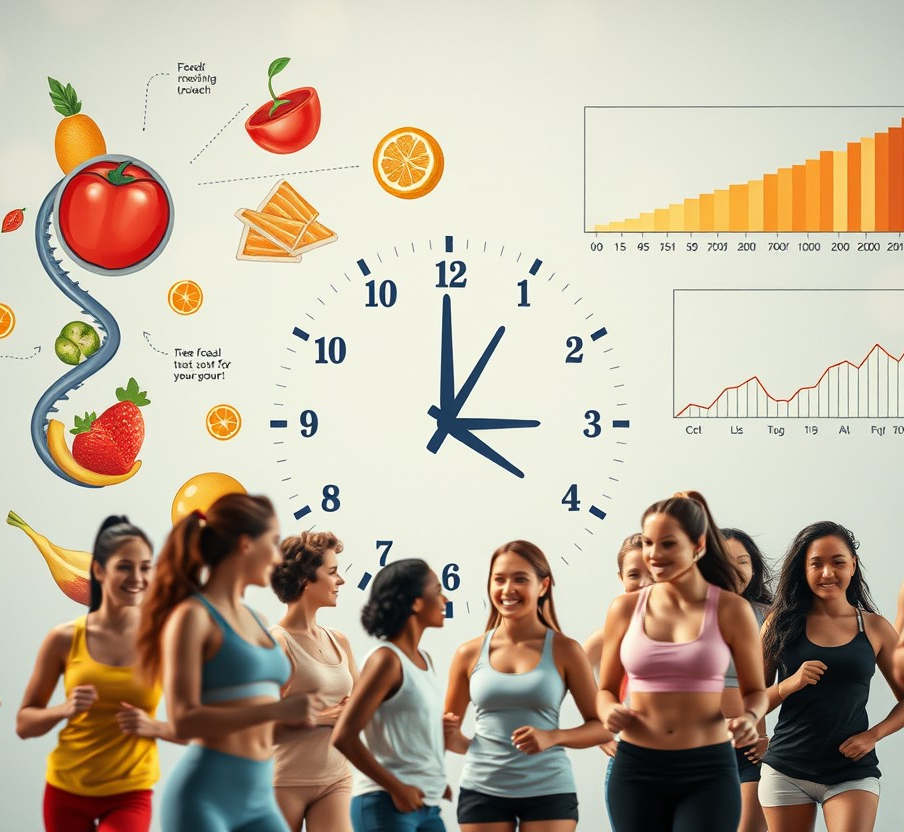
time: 3:00
